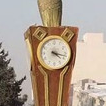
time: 4:17
